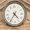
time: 4:35
